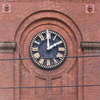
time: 2:00
